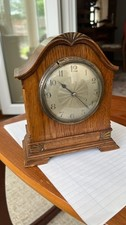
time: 10:22
